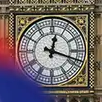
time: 12:18
